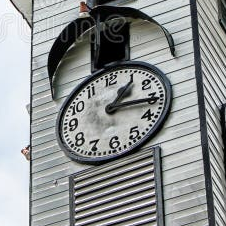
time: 1:16
